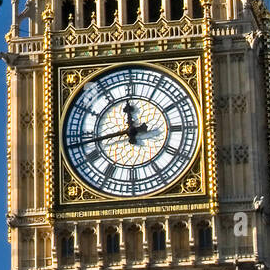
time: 11:43
